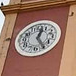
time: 12:24
